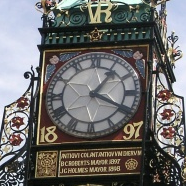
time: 1:19
